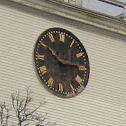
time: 10:14
